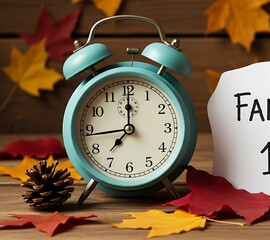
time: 7:00
